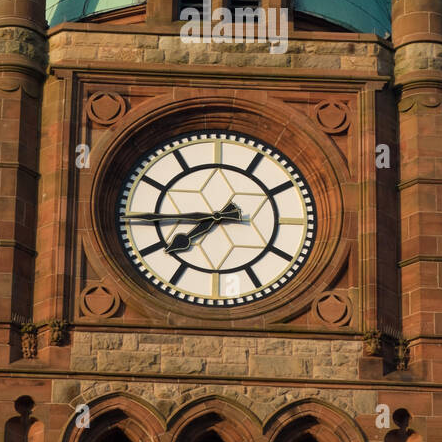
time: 7:44
